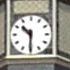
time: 10:30
